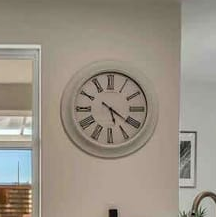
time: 5:20
